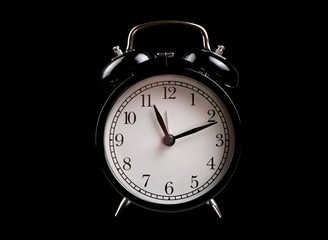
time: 11:11
